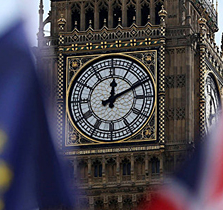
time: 12:10
